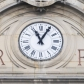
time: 11:05
